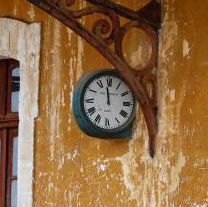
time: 11:58
